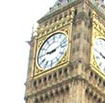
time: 9:12
